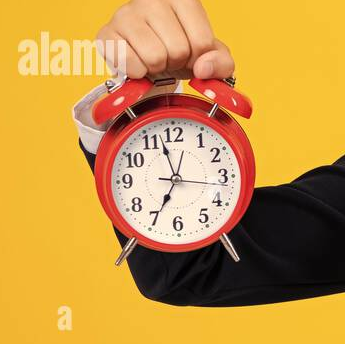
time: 6:57
